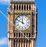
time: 11:49
